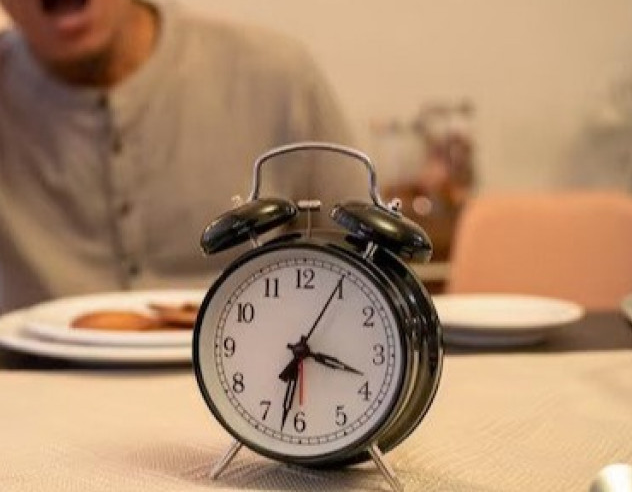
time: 3:32
